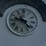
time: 9:22
